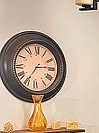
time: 2:35
